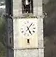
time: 5:06
